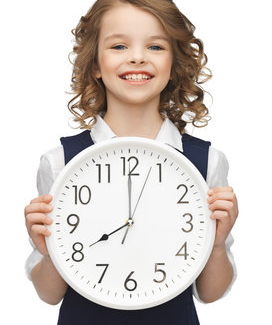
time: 7:59
